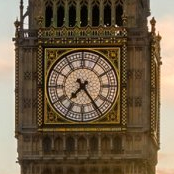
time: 7:24
